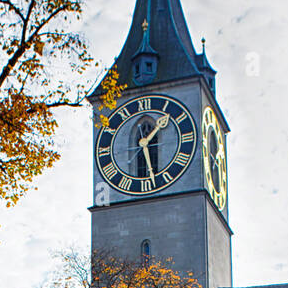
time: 1:28
